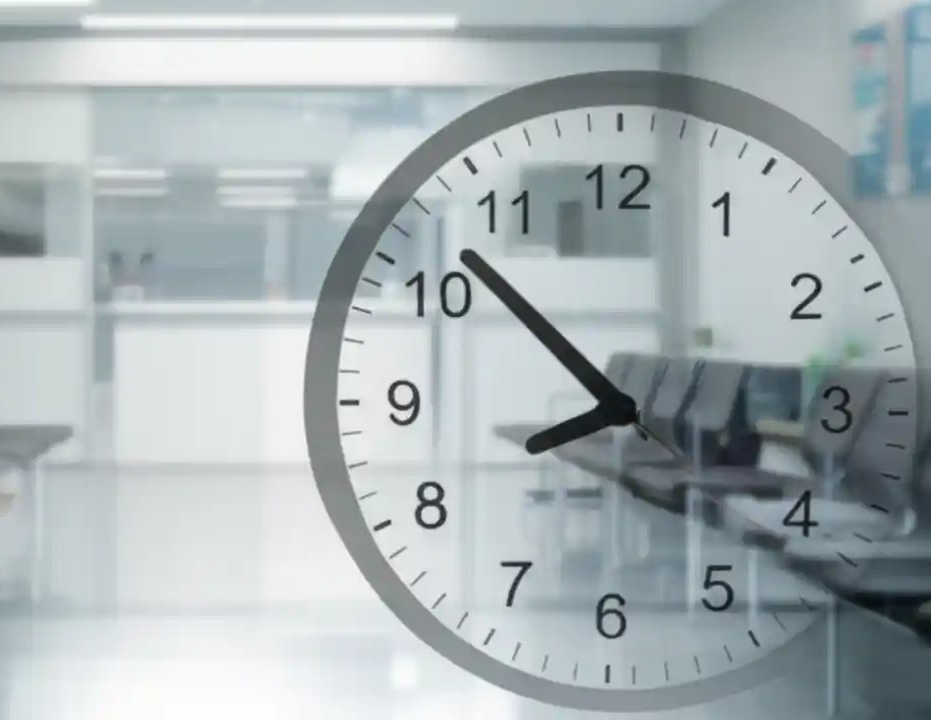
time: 7:52
